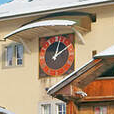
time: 2:02
